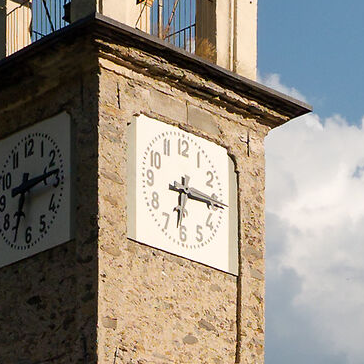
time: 6:15
